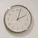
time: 2:02
